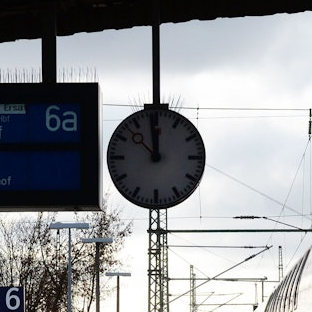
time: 11:52
